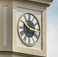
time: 10:16
